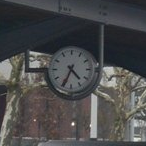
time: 4:34
